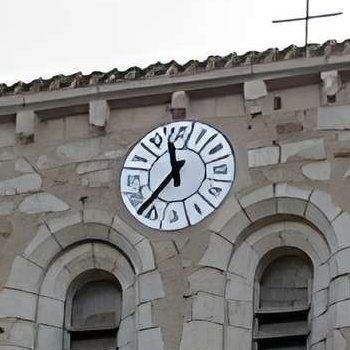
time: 11:36
